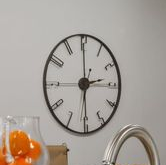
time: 2:29
